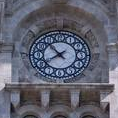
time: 7:53
